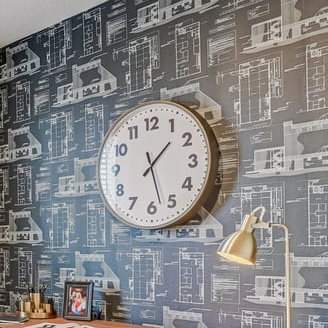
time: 1:27
